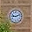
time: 9:11
